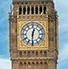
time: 12:30
